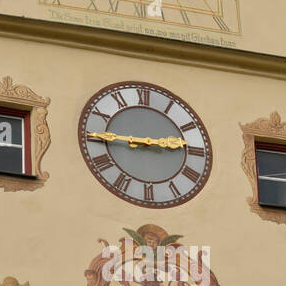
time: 2:45
